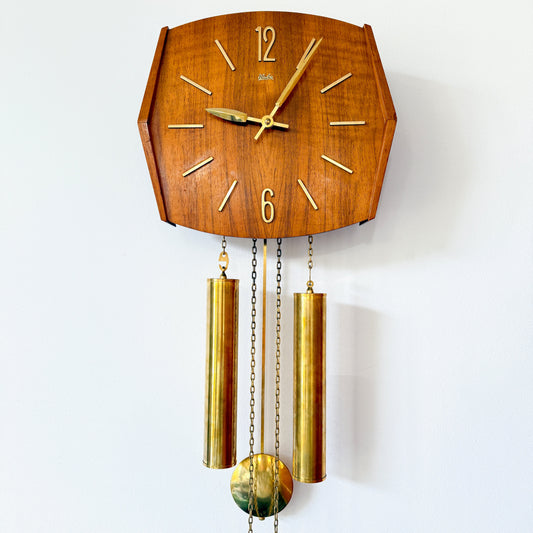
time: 9:05
